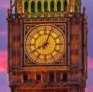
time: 8:03
